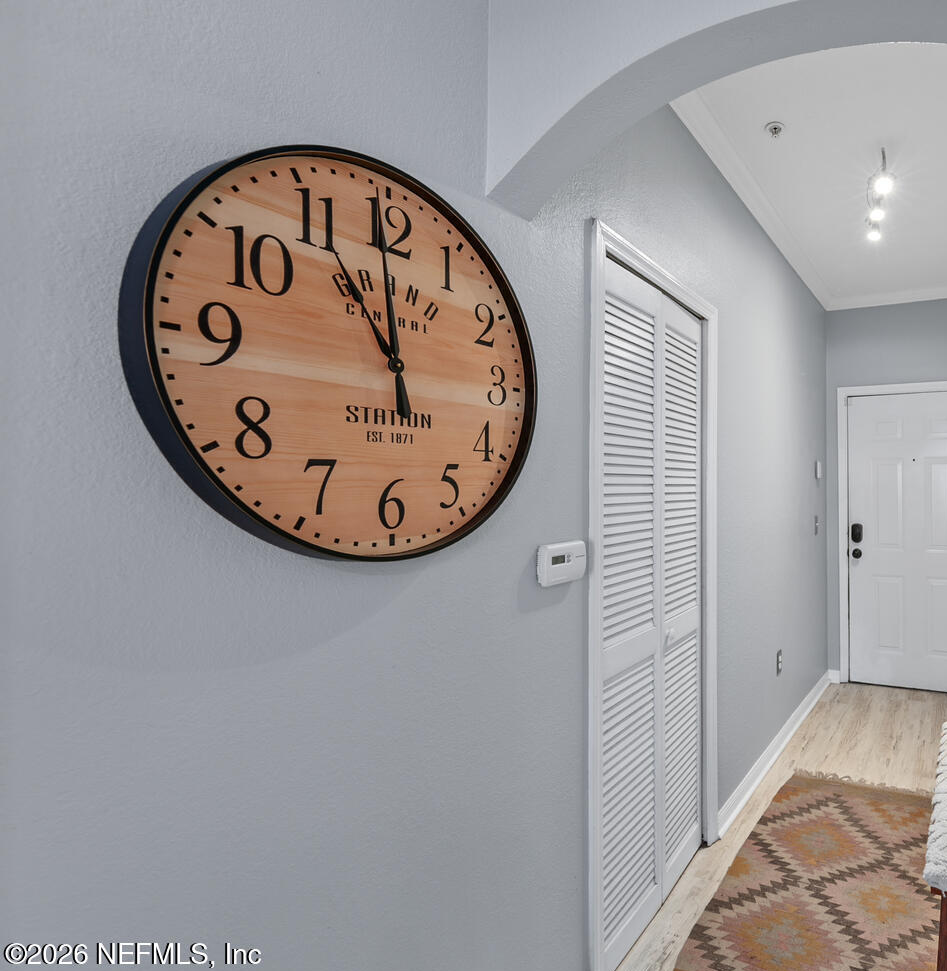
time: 10:59
